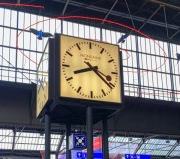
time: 8:21
